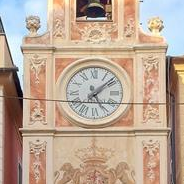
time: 5:08
